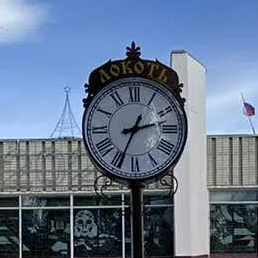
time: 2:34
